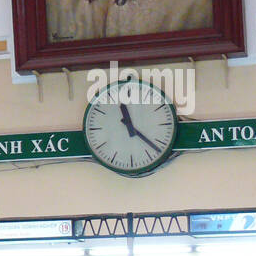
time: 11:21
